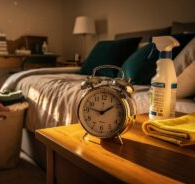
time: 9:10
